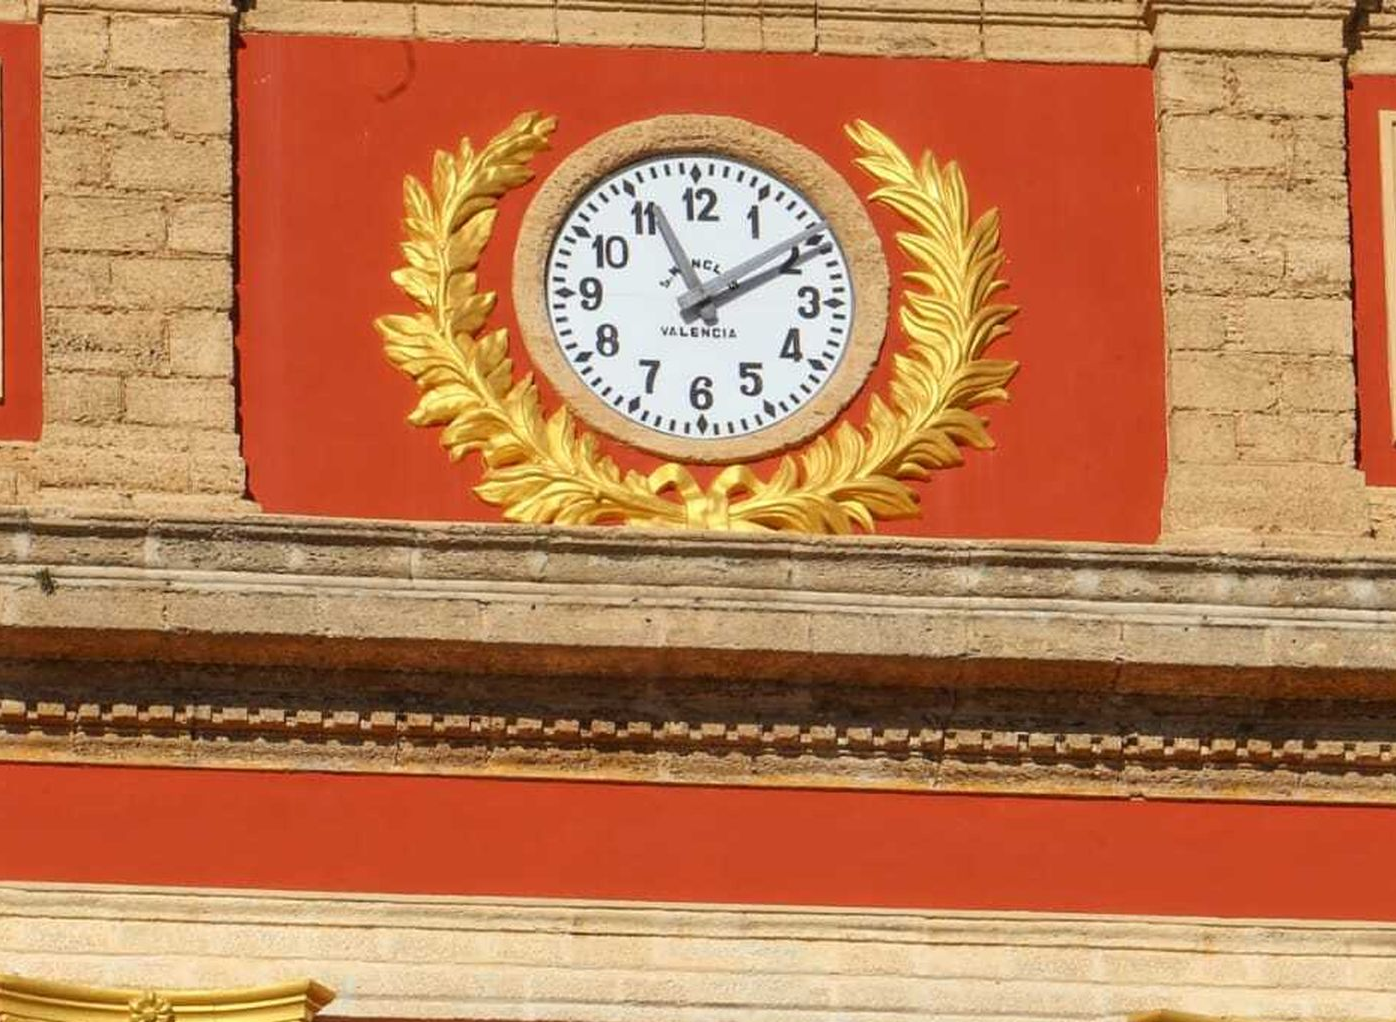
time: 1:56
